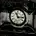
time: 11:14
